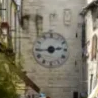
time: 2:44
